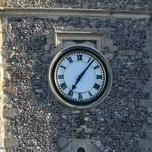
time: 7:06
